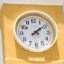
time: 2:09
